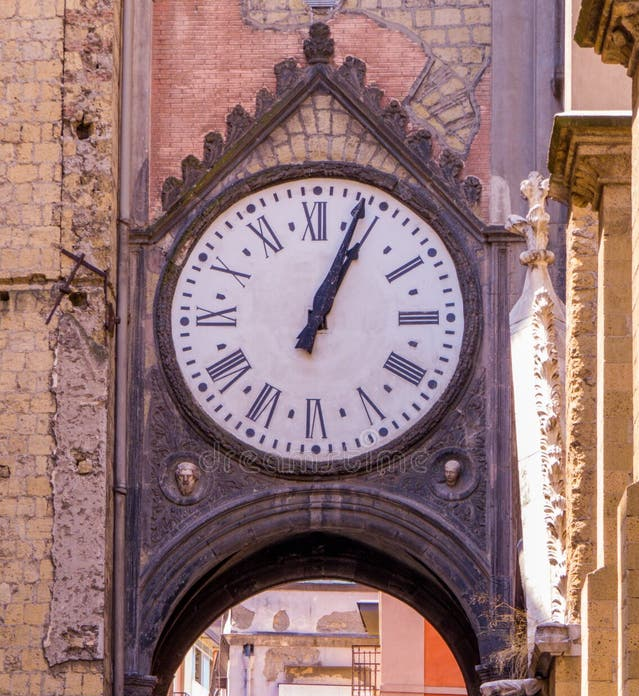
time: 1:03
